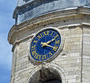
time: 2:19
